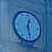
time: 12:28
